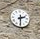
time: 2:29
